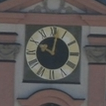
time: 10:01
